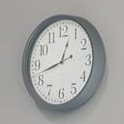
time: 12:42
